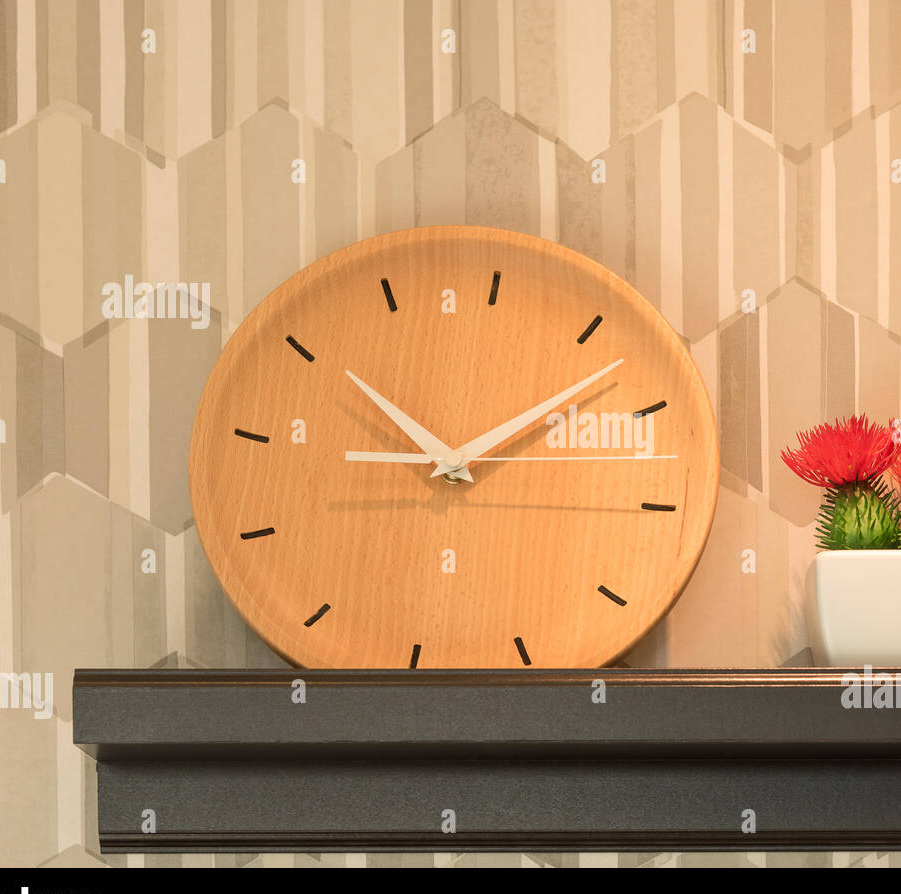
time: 10:07
